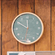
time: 11:50
